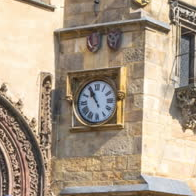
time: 10:55
